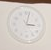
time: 3:02
